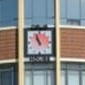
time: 10:56
